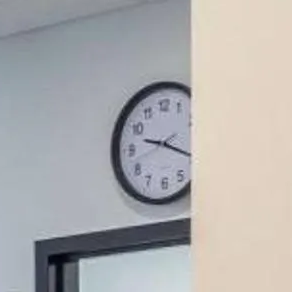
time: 9:20
